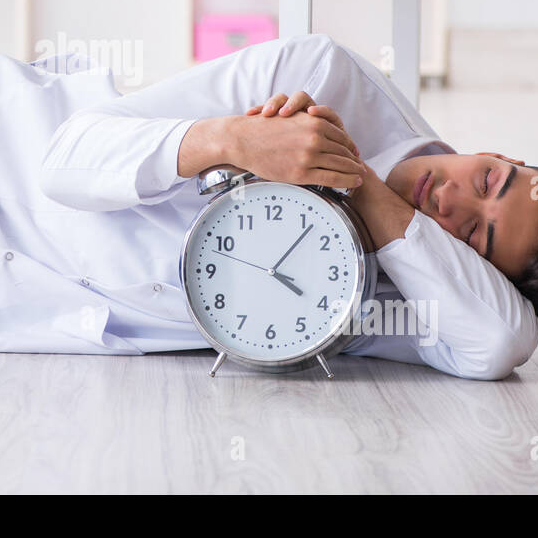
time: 4:06
